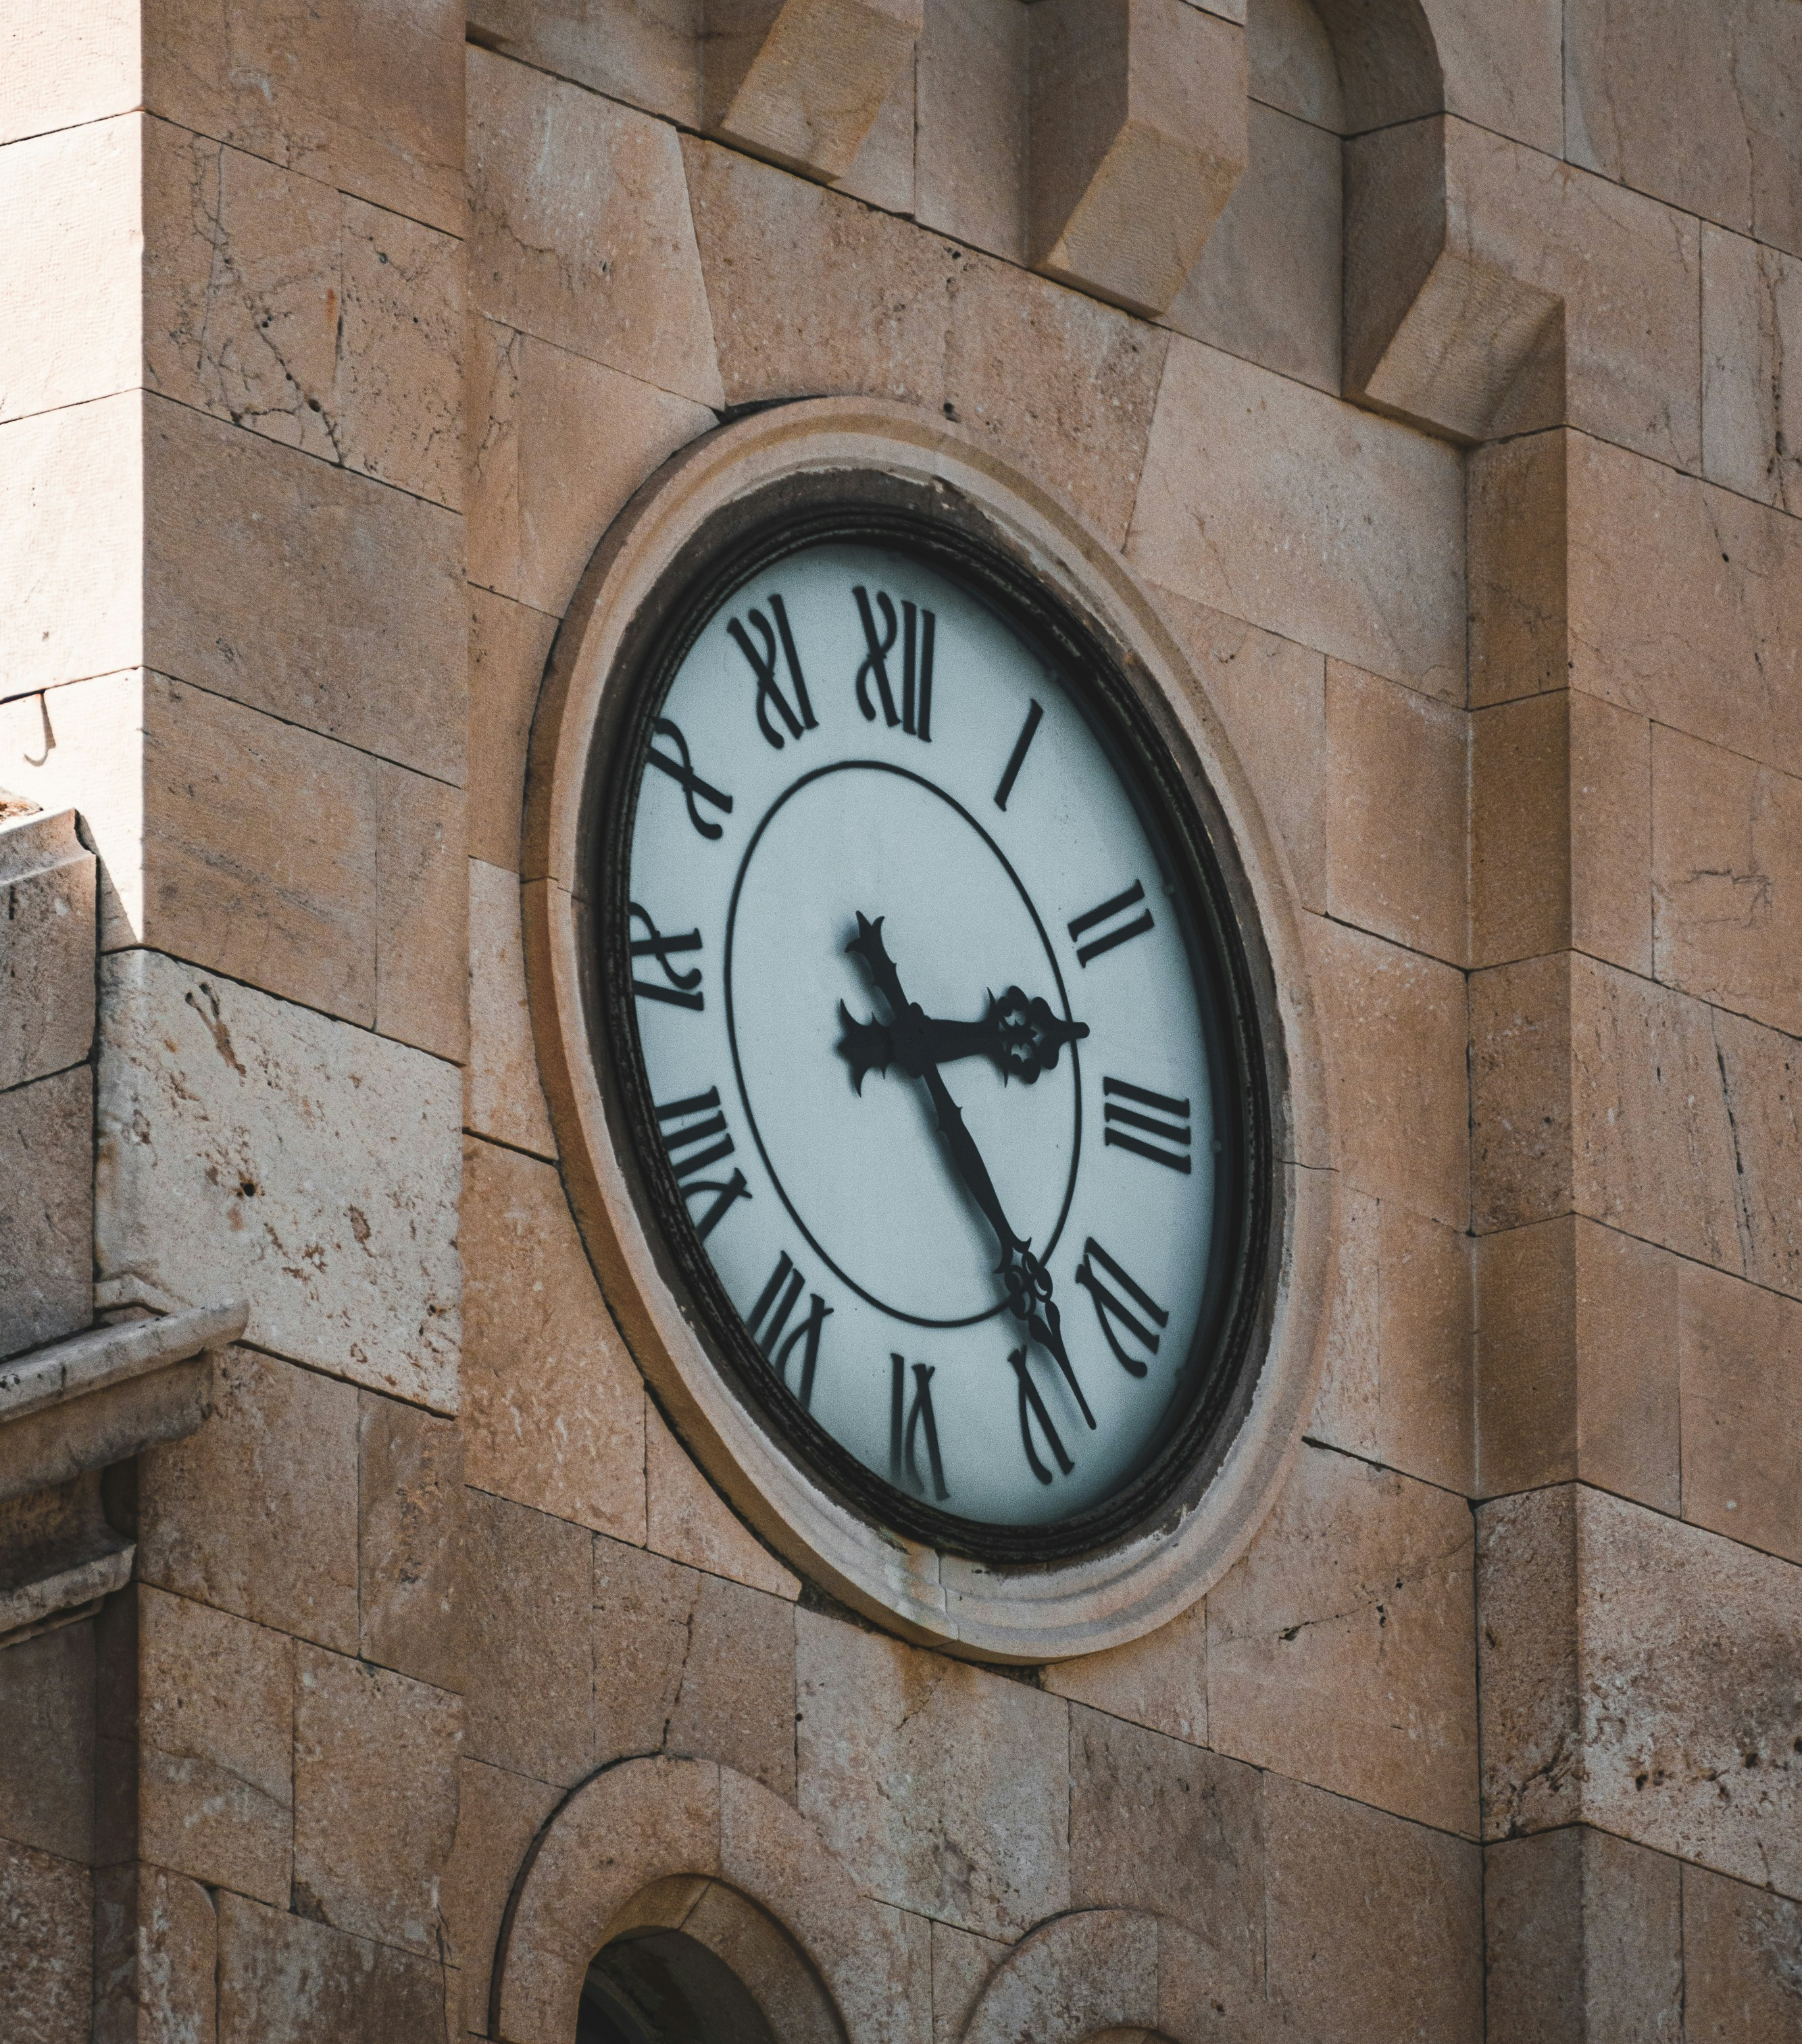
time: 2:23
